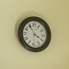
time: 3:55
